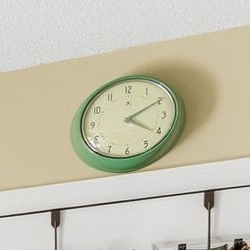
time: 4:10
